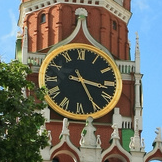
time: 3:25
